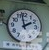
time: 1:57
